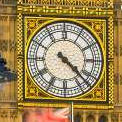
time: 4:22
